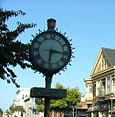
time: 6:16
